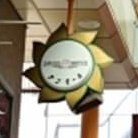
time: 2:46
